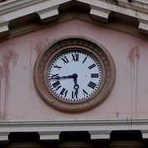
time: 5:43
